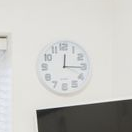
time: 12:15
